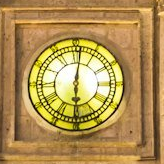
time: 6:01
